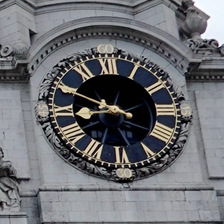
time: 8:49
